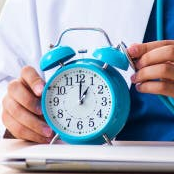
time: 1:00
